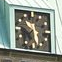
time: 10:28
